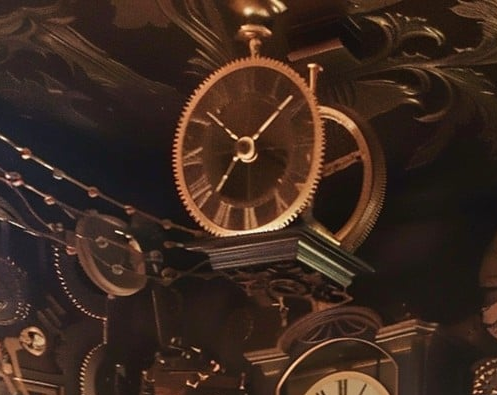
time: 10:07
